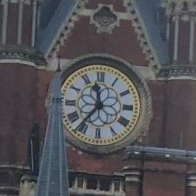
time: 11:36
